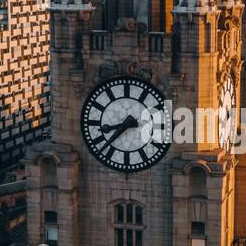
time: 8:37
